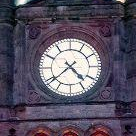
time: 4:38
